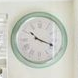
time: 10:18
